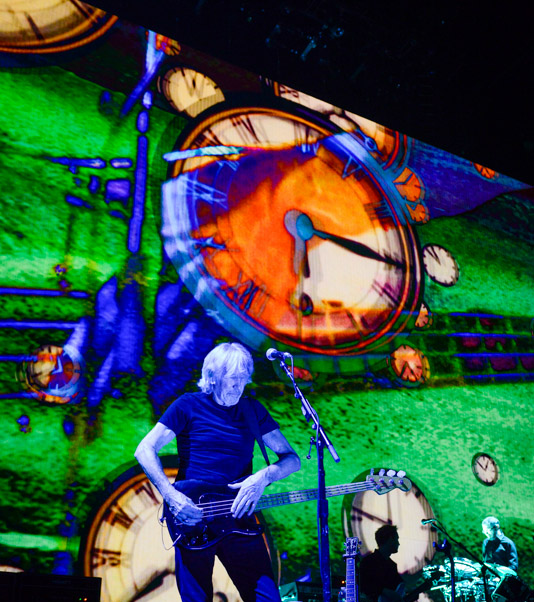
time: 3:16
